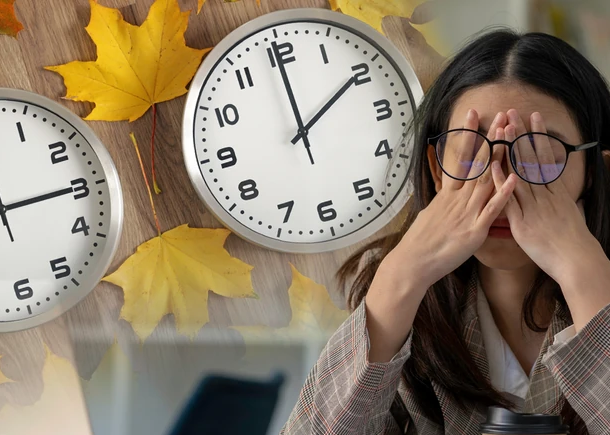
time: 1:59
